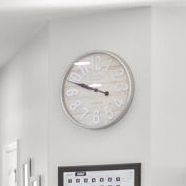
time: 9:48
